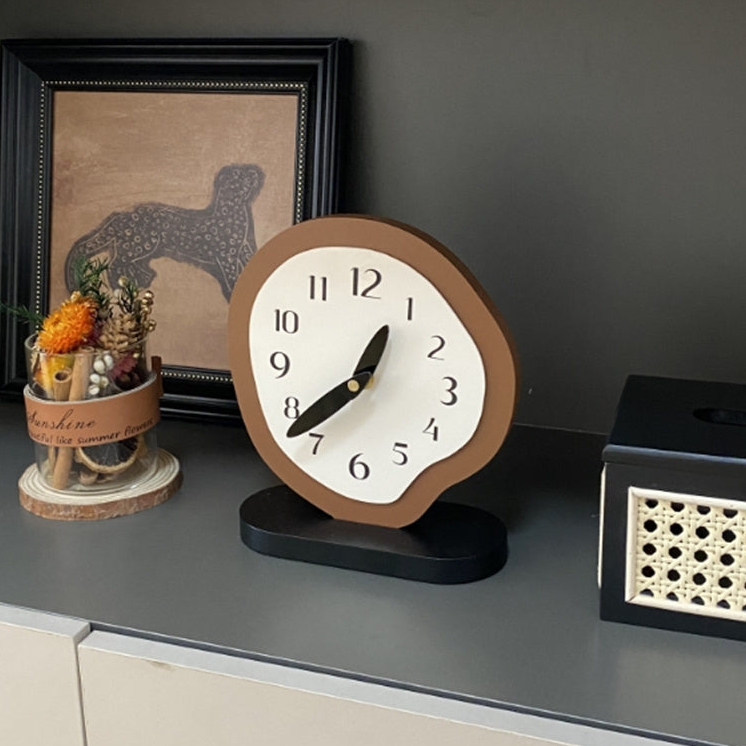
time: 12:37
